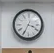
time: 3:34
